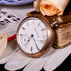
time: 7:25
